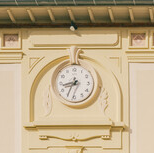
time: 8:35
